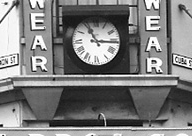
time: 11:15
